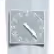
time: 4:22
